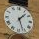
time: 1:26
